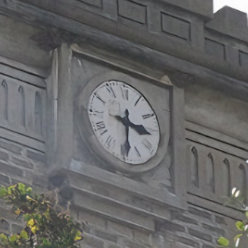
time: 3:29
